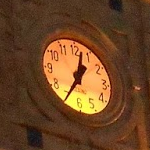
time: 12:34
